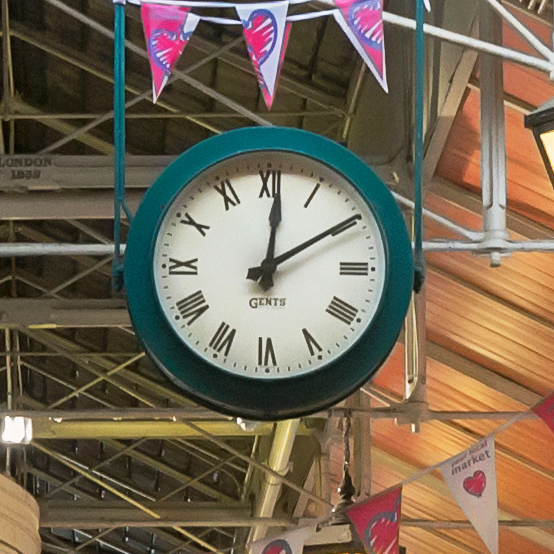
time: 12:09
